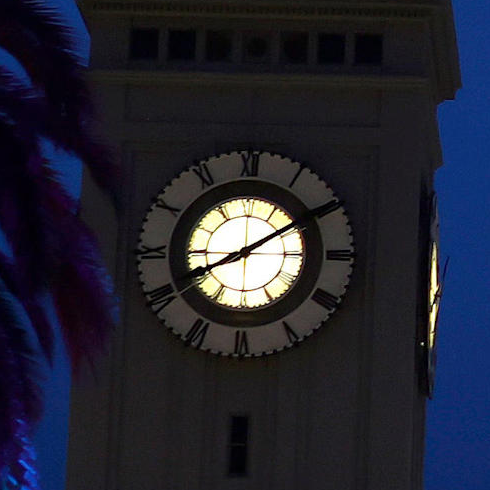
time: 8:09
